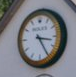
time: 3:24
